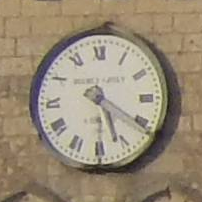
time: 5:20
